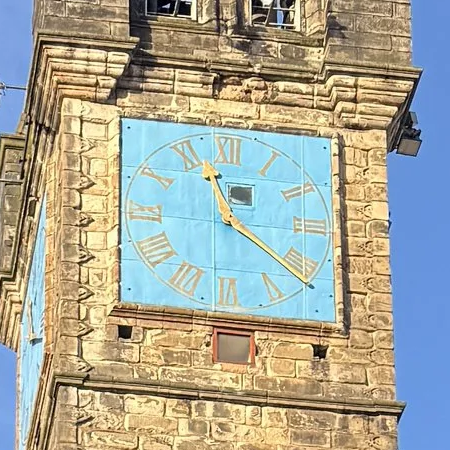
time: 11:21
